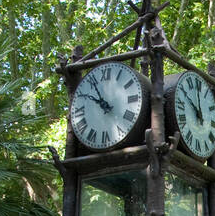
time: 9:55
